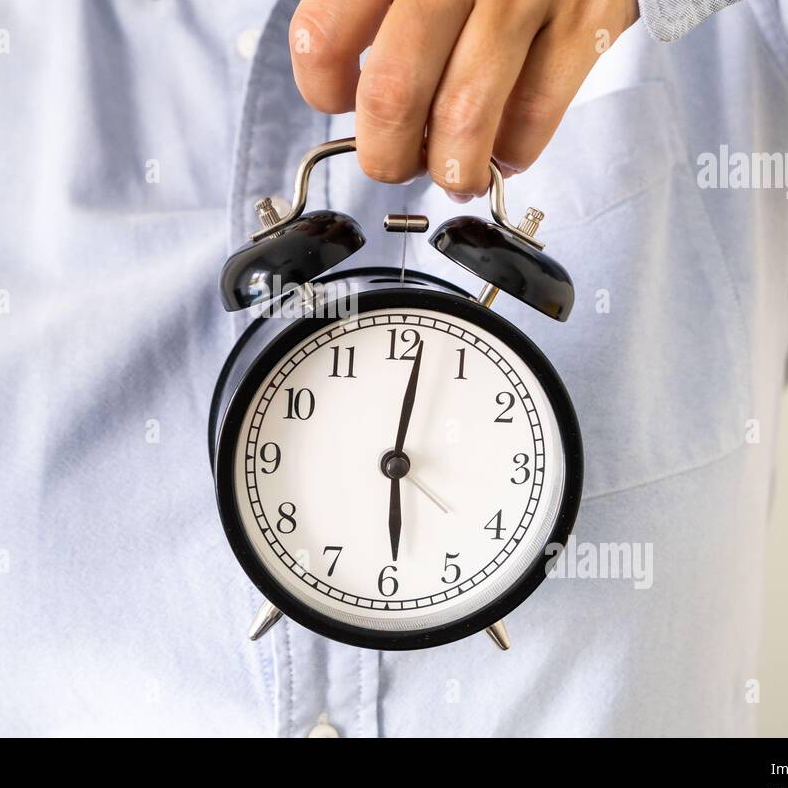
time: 6:01
